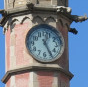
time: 12:25
